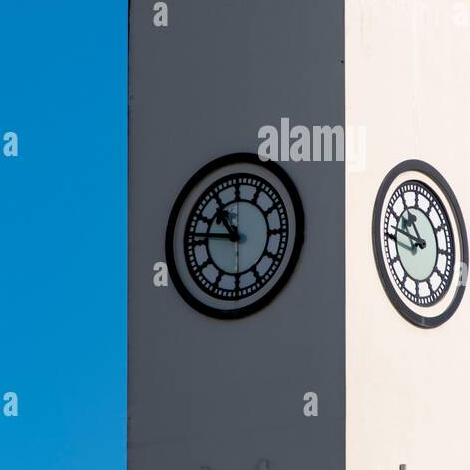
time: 10:46
